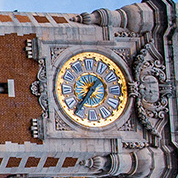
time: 1:36
